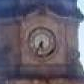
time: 5:35
